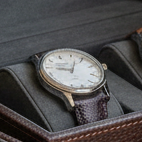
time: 9:02
